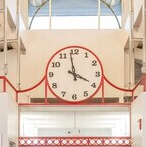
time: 3:58
